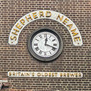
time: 12:18
